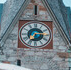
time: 7:15
